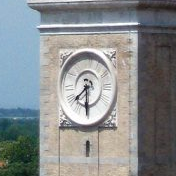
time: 7:30
